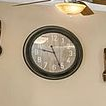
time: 9:26
